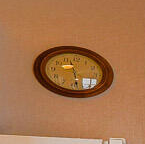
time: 9:28
